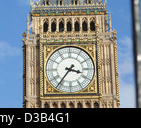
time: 3:36
